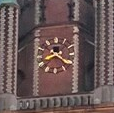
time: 8:21
